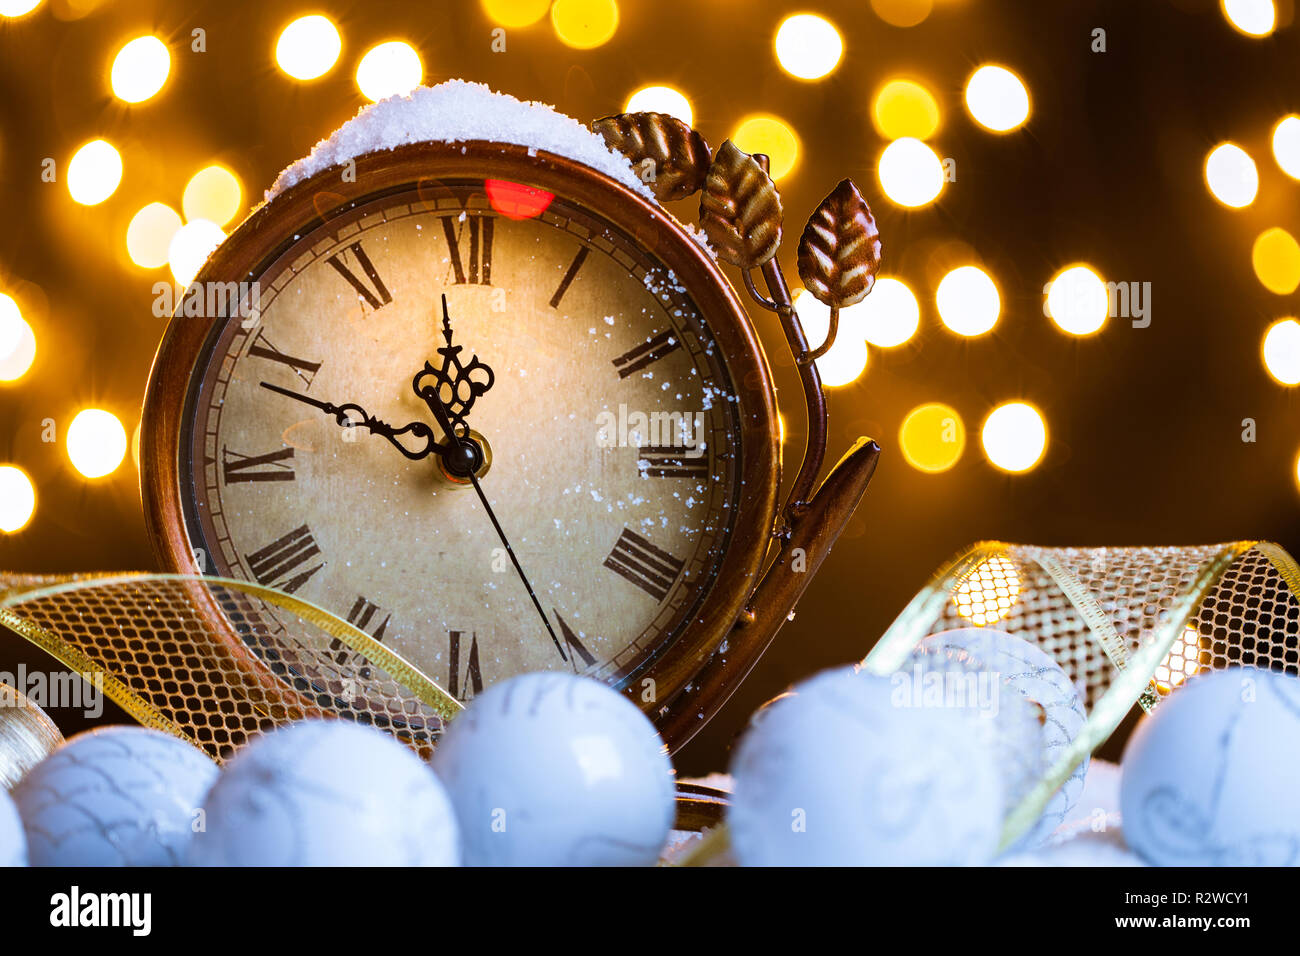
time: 11:48
